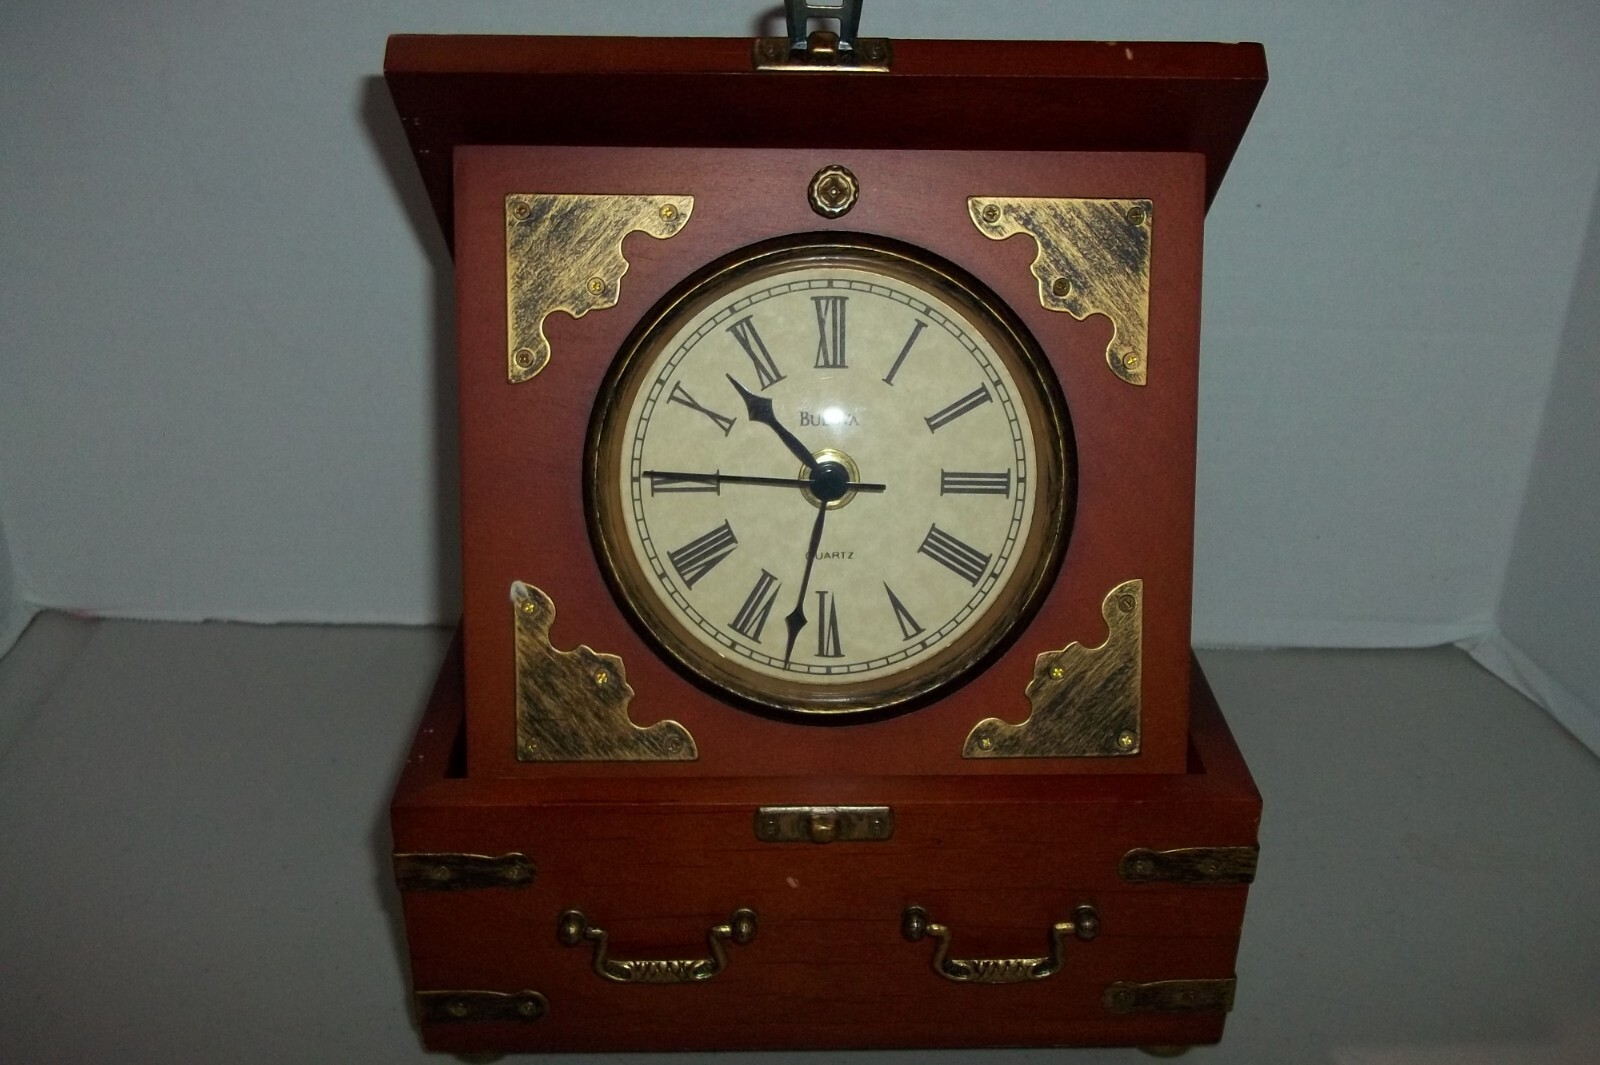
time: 10:45
